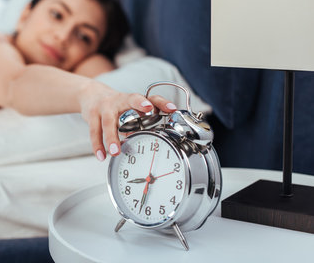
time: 8:32
